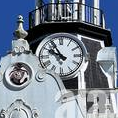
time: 9:54
